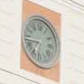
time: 6:43
